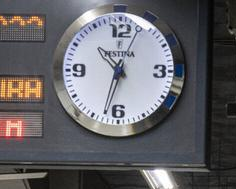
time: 10:32
